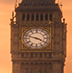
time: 3:47
